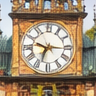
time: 6:47
